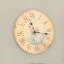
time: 11:17
